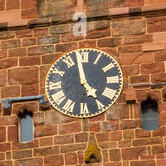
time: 4:58
